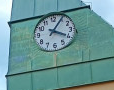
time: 4:05
